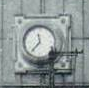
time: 11:36
